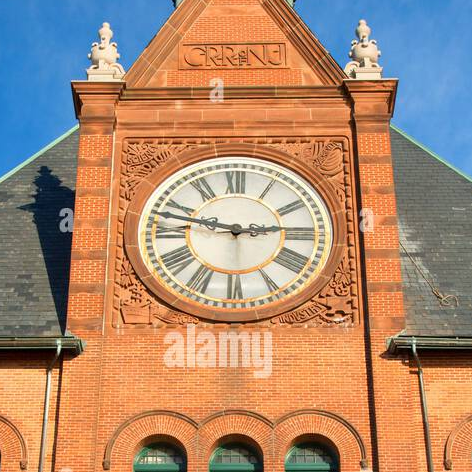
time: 2:47
